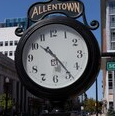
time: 10:23
